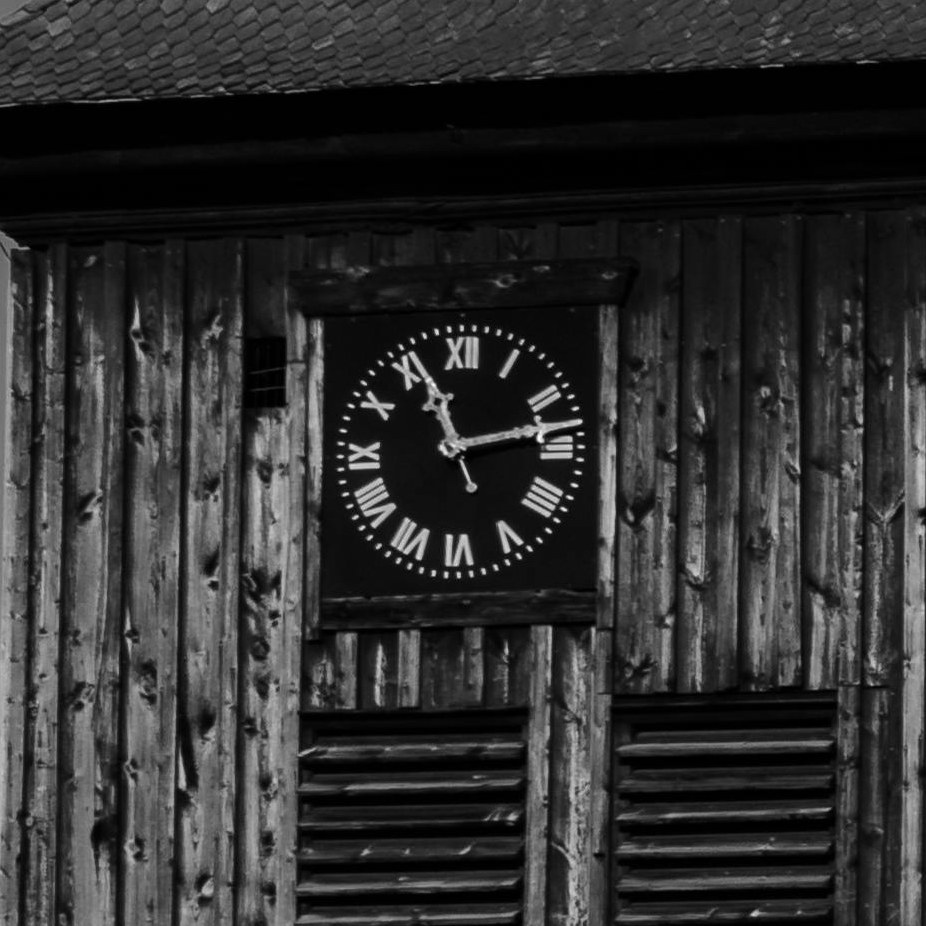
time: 11:13
